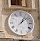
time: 1:08
